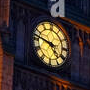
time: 4:46
